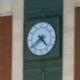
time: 4:38
